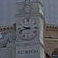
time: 9:42
